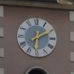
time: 6:10
